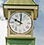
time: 10:00
